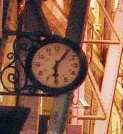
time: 6:06
